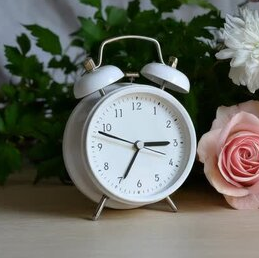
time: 2:48
